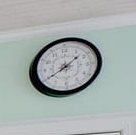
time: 1:39
